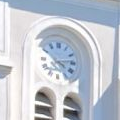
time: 4:13
